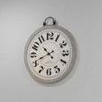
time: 10:41
